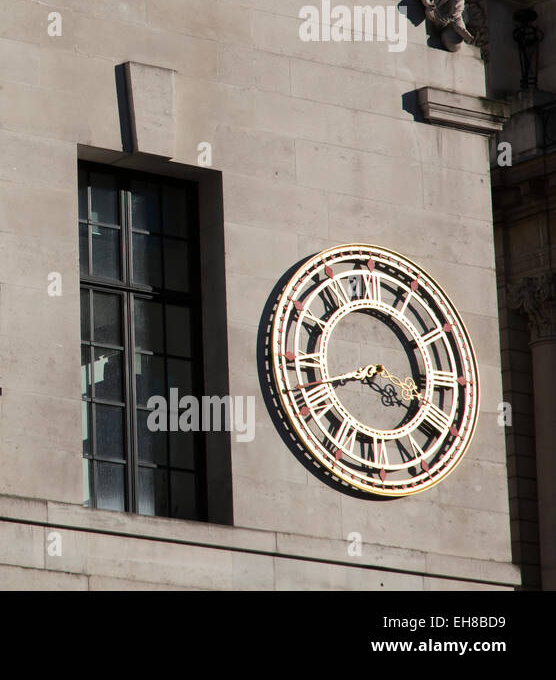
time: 3:42
